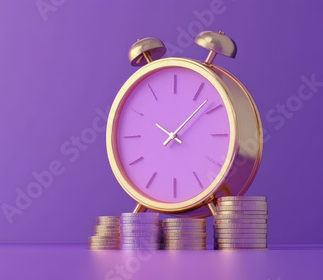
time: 10:07
